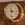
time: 3:32
